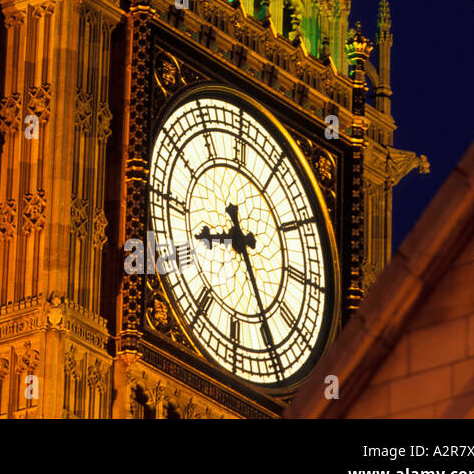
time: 8:24
